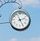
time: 2:25
